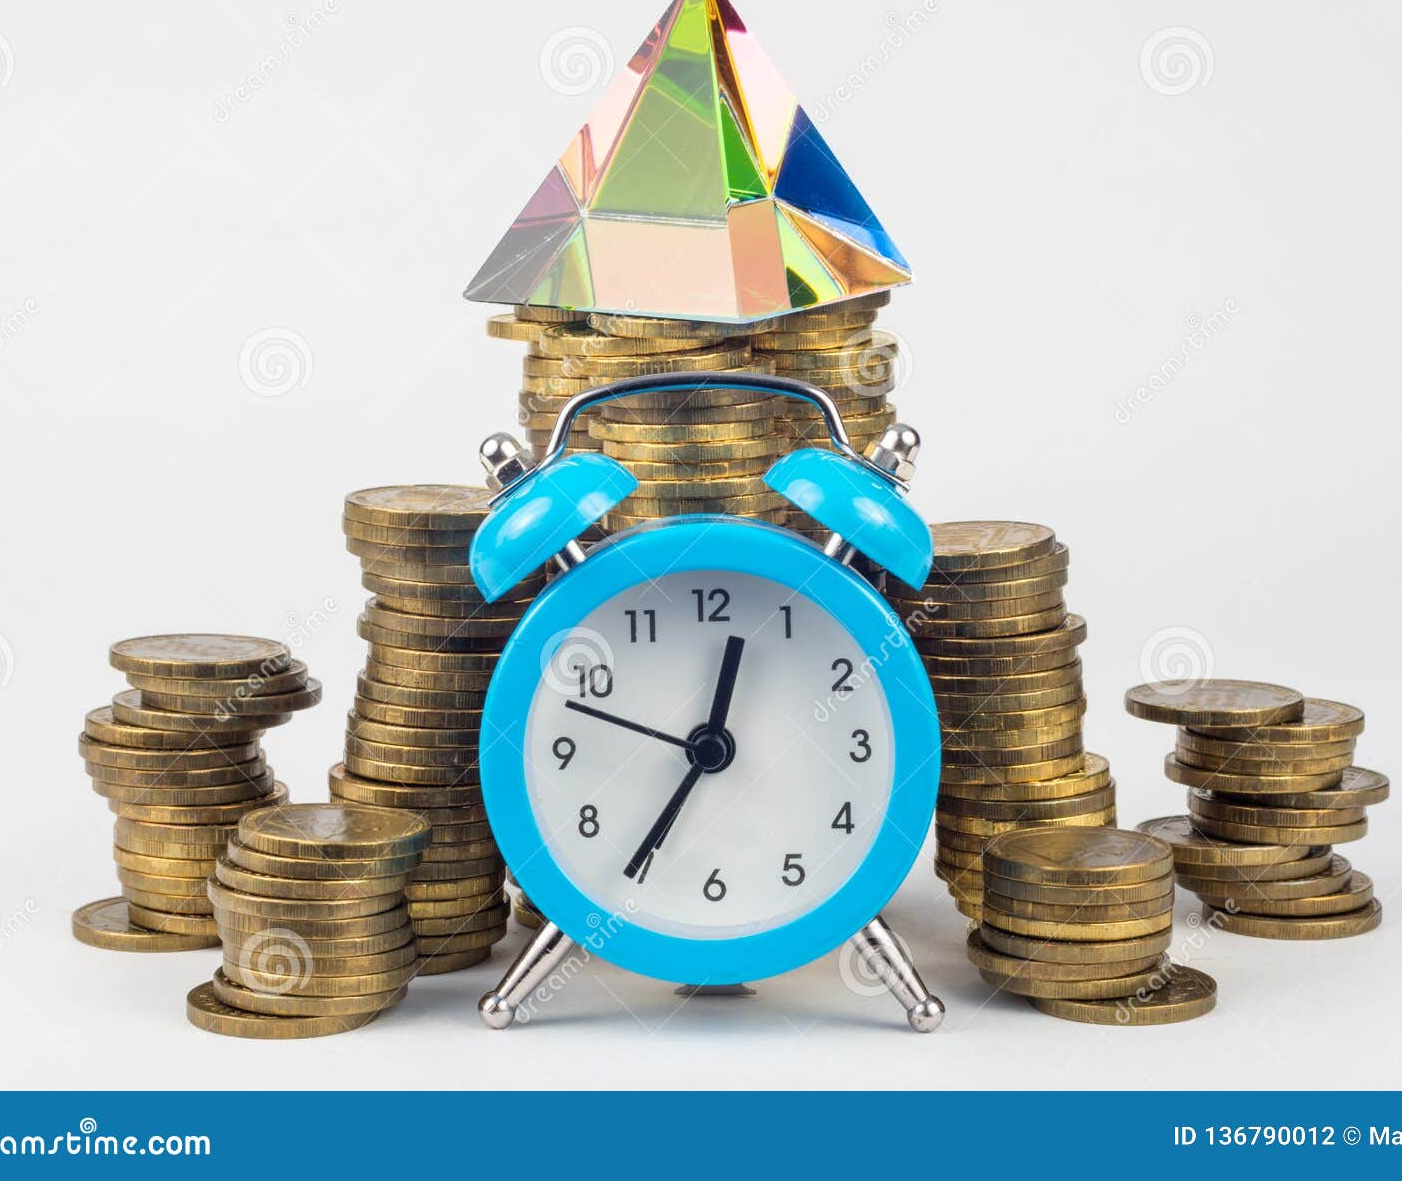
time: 12:35
